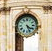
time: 4:26
